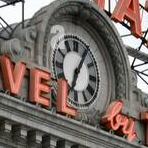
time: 7:05
